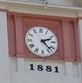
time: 2:22
